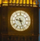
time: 9:26
